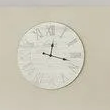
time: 12:17
